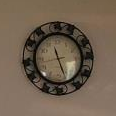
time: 11:26
